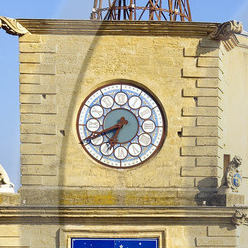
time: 6:40
